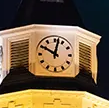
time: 10:02
